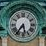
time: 5:35
